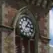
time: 1:16
